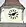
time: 1:43
